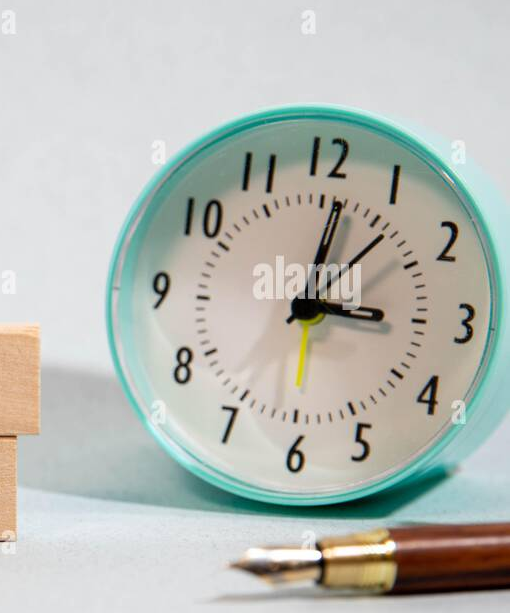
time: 3:01
